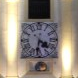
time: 4:31
